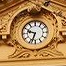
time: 9:33
